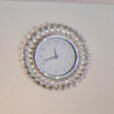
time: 11:42
